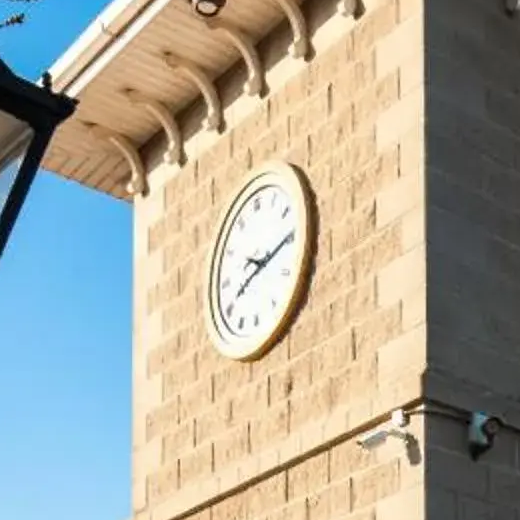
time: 8:14
